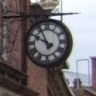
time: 9:55
